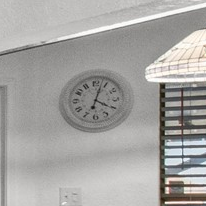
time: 4:02
